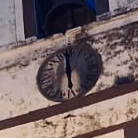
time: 5:59
